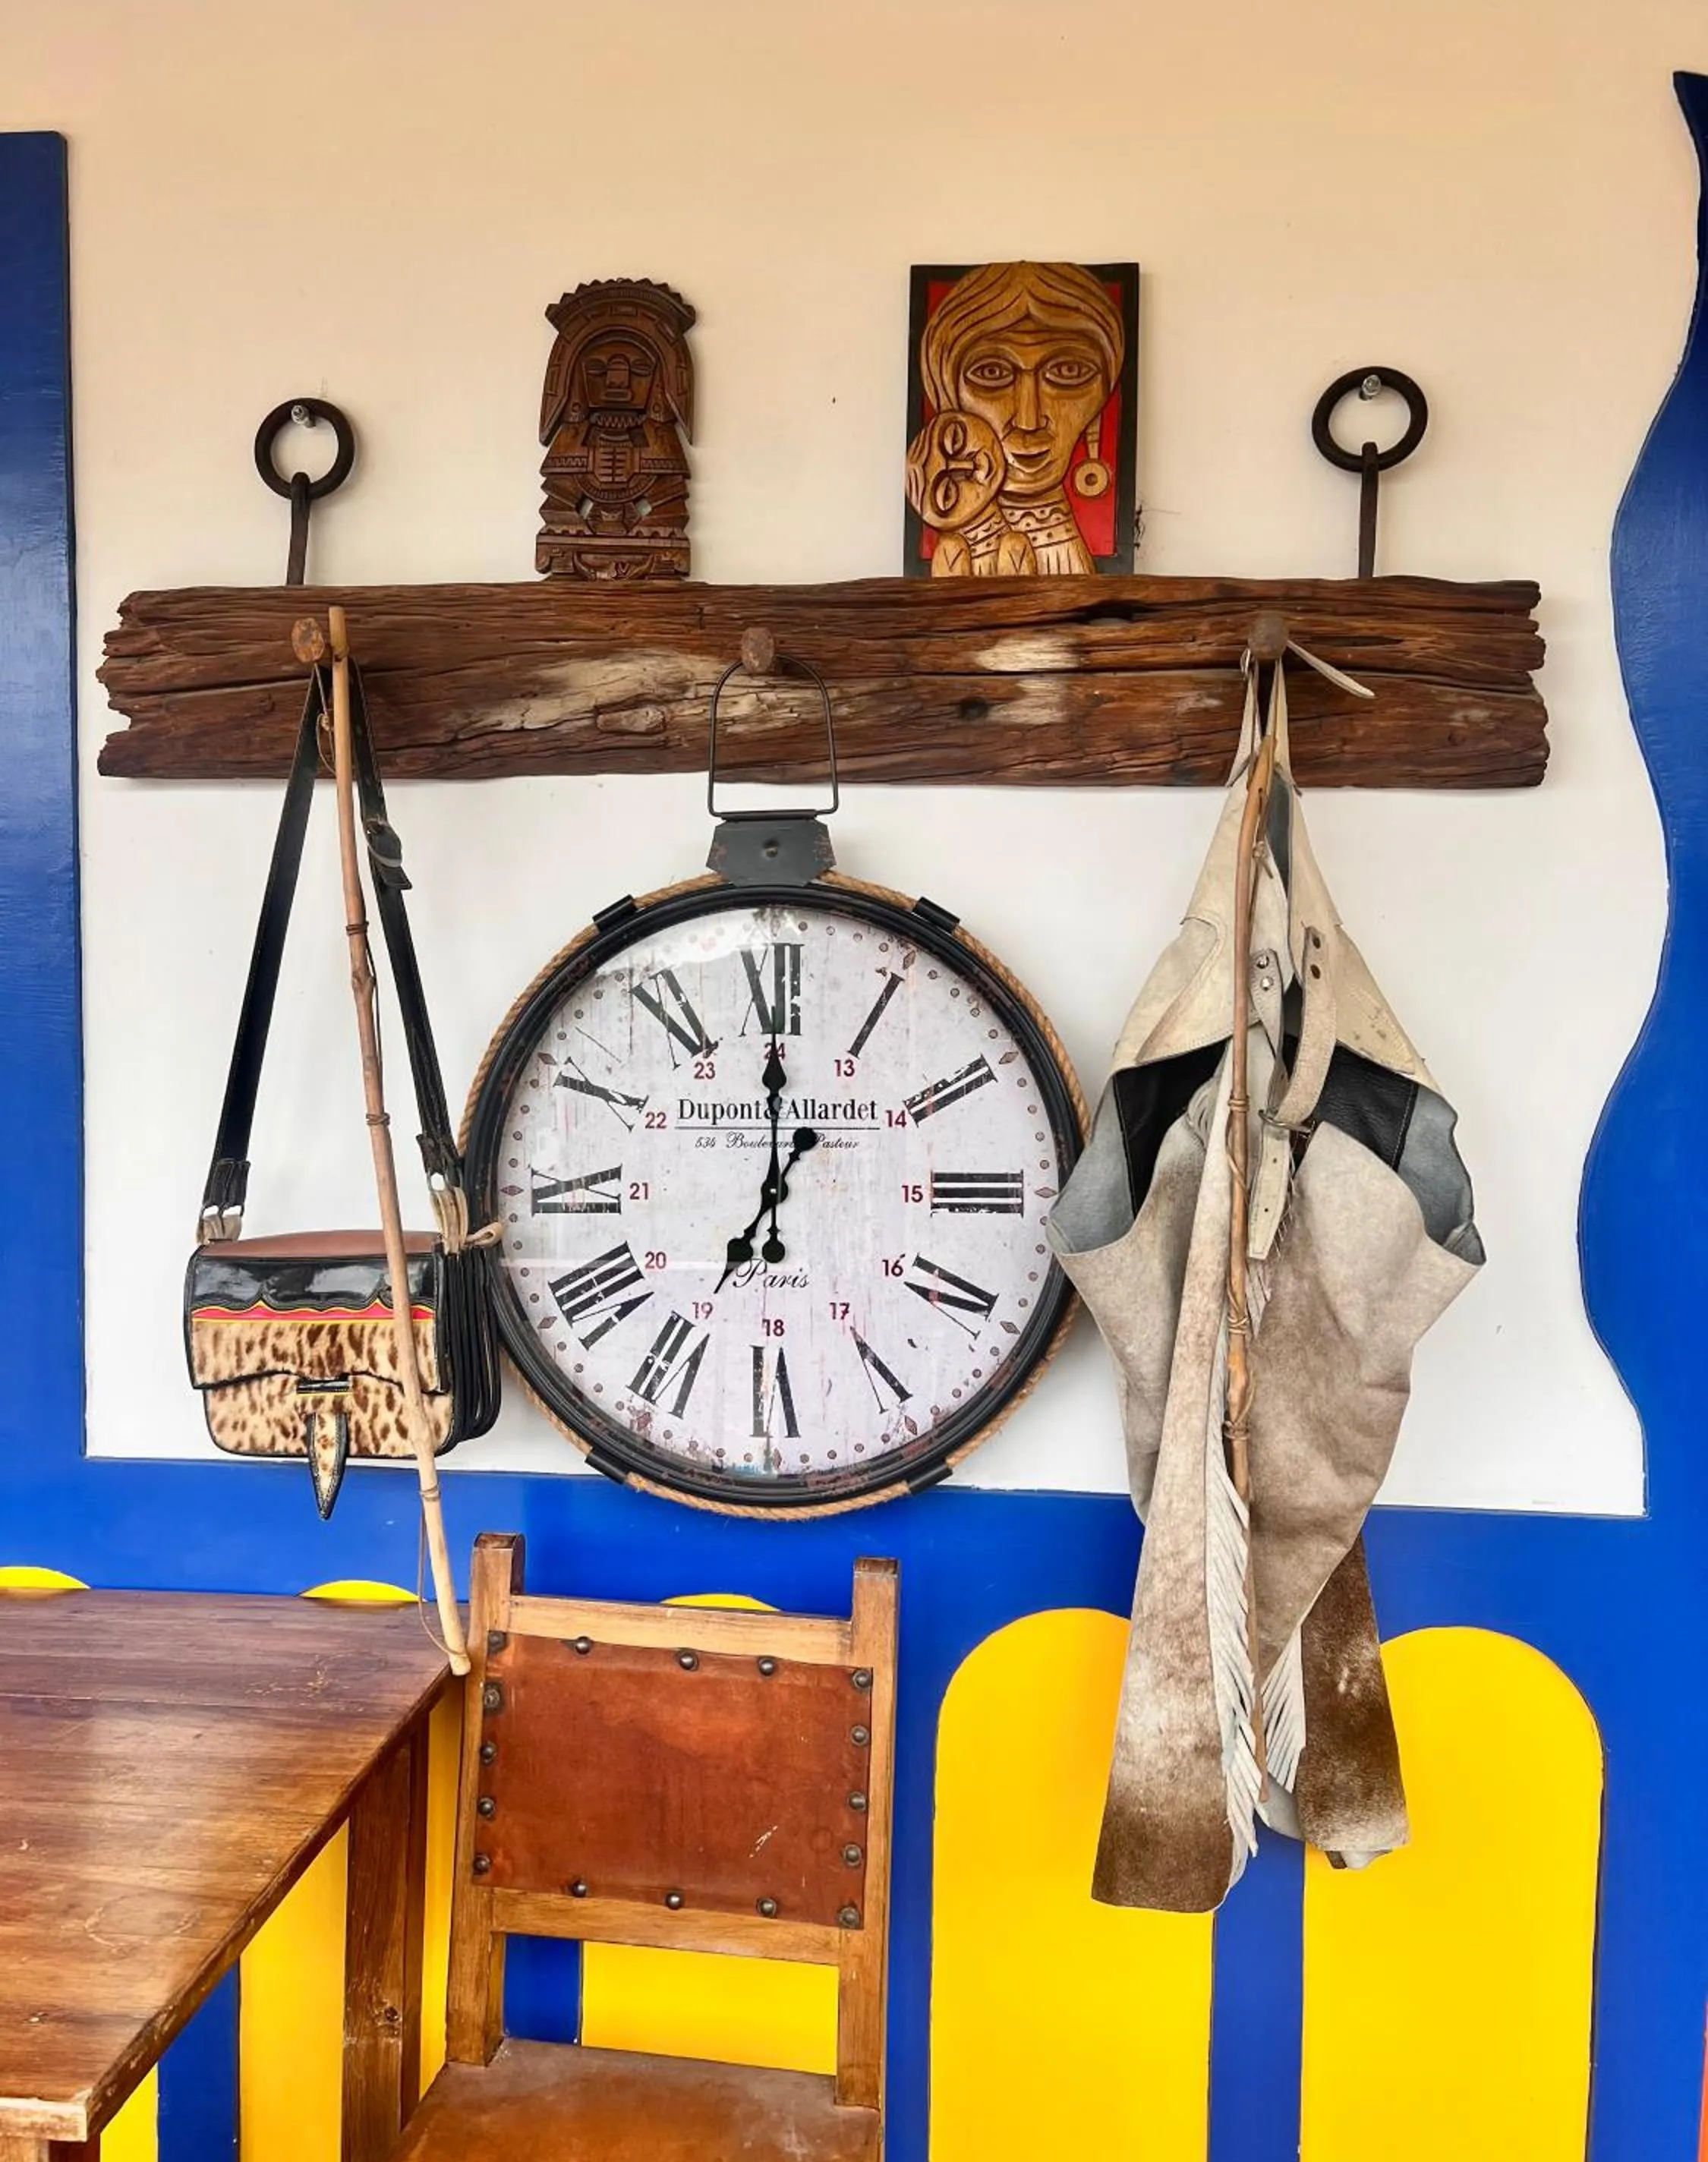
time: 1:00
